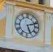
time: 5:11
